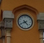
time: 4:40
